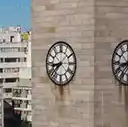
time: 8:37
